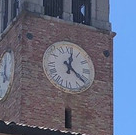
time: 12:21
